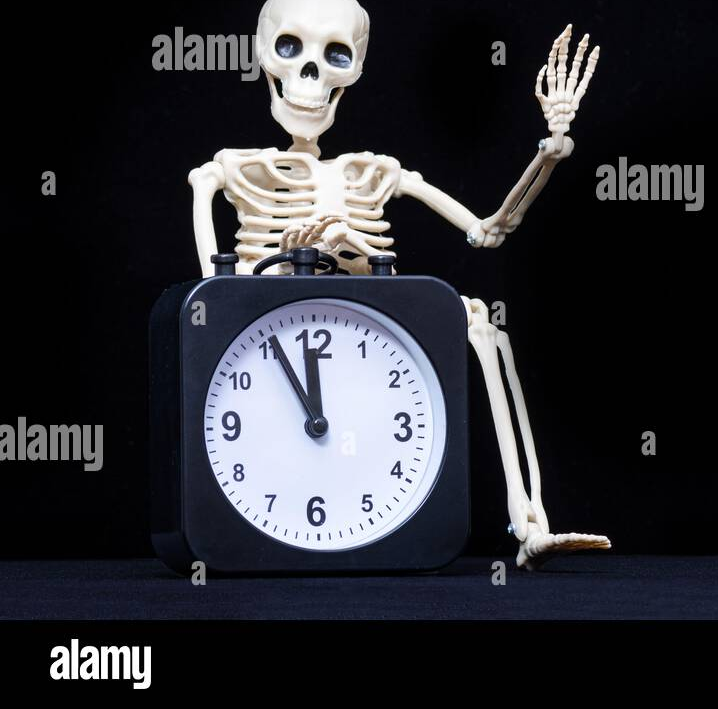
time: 11:55
